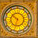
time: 10:33
